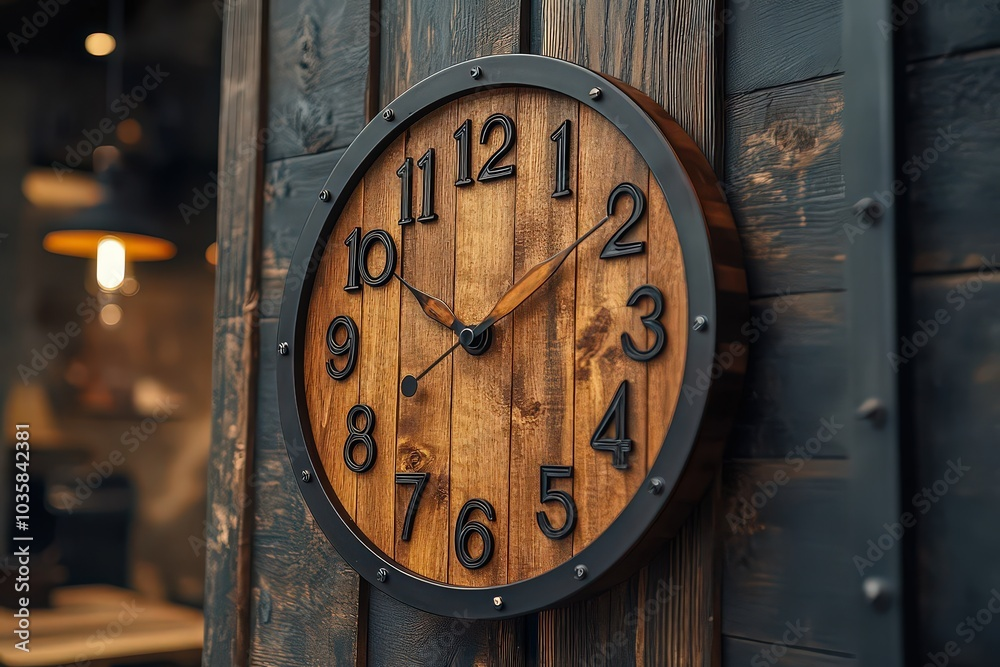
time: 1:50
